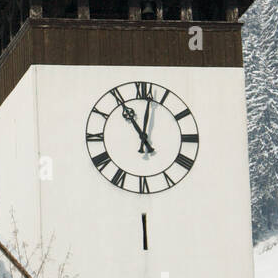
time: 11:01
